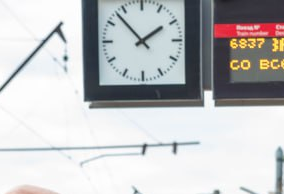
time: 1:52
